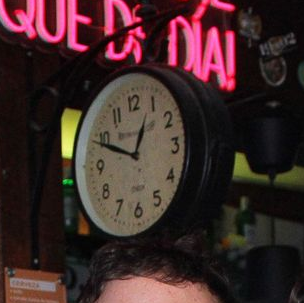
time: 12:49
